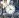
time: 3:37
